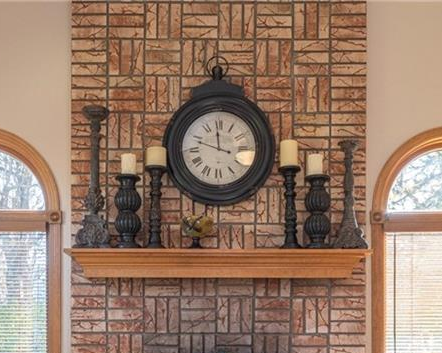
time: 11:48
